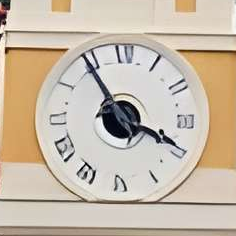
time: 3:54
